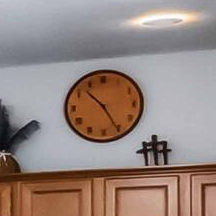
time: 10:25
